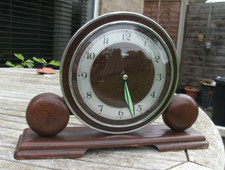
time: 5:26
